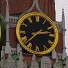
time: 2:37
